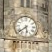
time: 5:38
